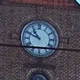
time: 10:49
